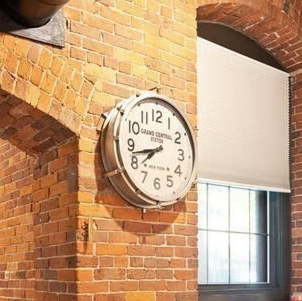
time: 7:42
